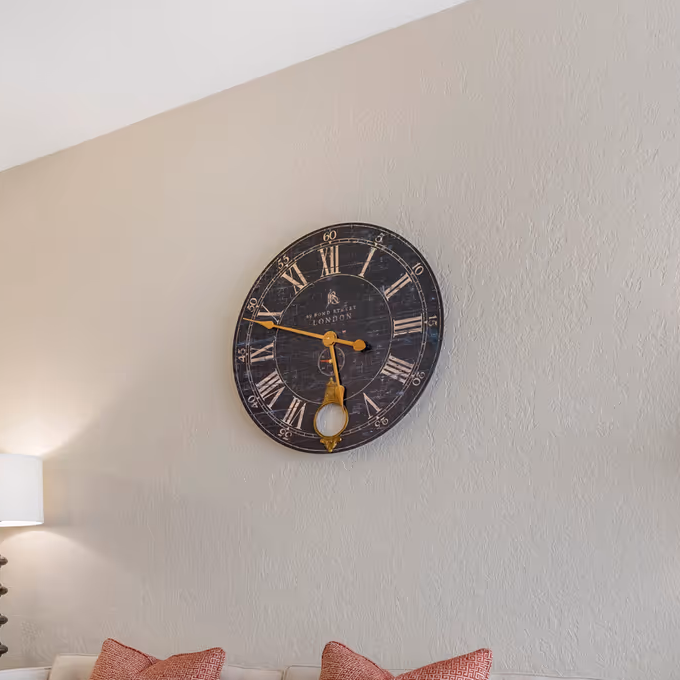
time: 5:48
